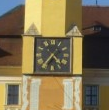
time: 4:36
